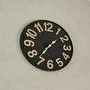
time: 1:36
